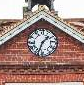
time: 1:33
